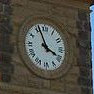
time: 3:56
